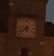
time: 5:38
